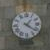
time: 1:21
